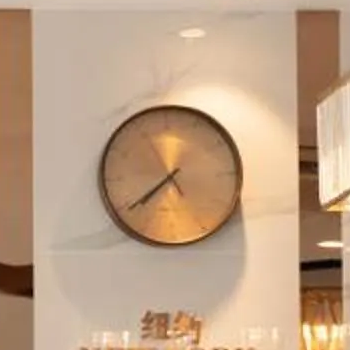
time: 7:39
